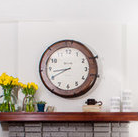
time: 8:40
